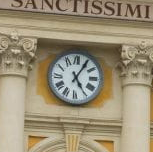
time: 5:05
